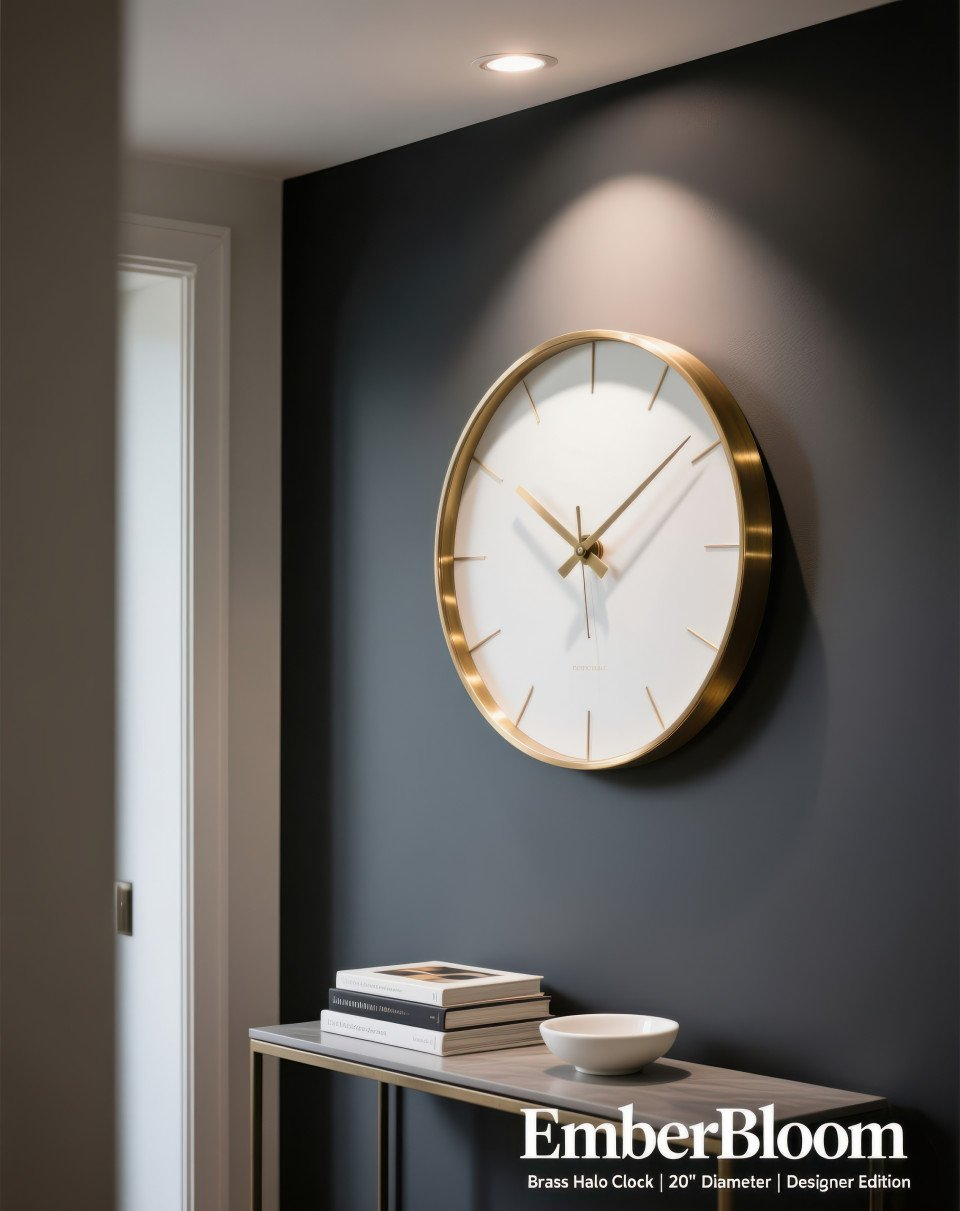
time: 10:08
